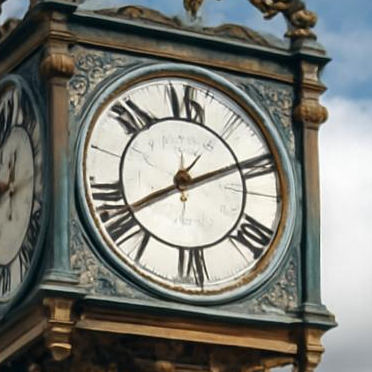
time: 8:11
